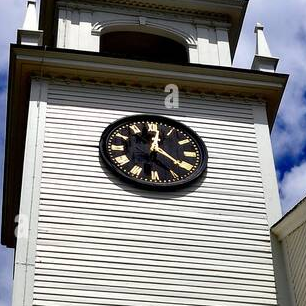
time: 12:20
